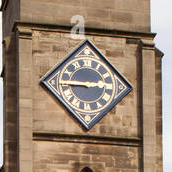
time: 2:45
